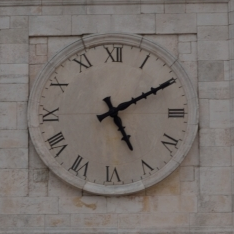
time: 5:10
